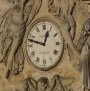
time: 12:47
